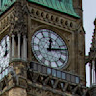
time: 12:12
